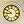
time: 8:50
